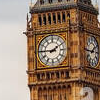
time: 1:45
